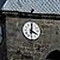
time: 4:01
